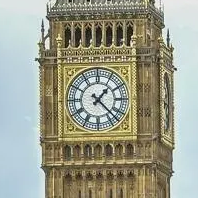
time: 1:22
